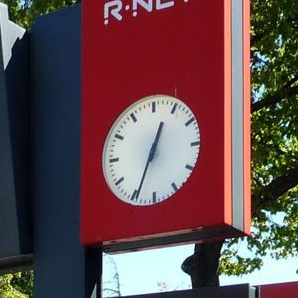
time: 12:34
